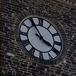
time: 3:54
